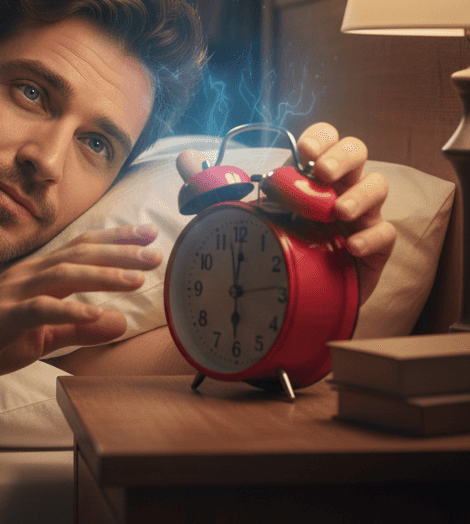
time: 6:00
